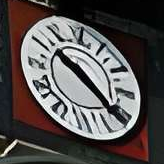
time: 10:21
